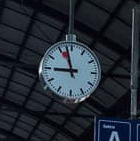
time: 8:57
